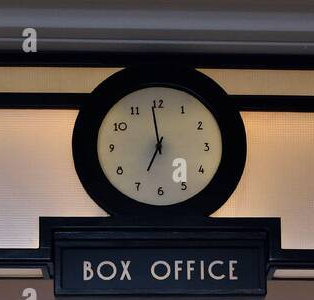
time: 6:58
